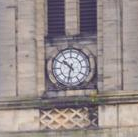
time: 10:32
